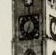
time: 12:34
